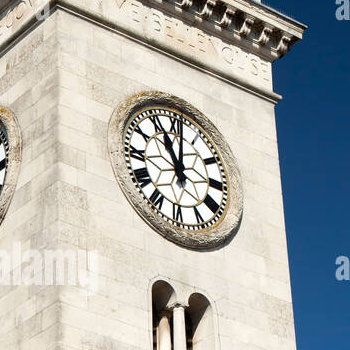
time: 11:00
